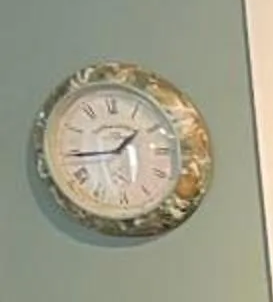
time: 1:44
